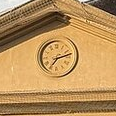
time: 7:12
